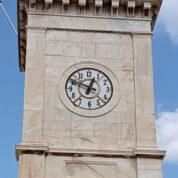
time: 12:49
